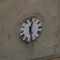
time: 12:28
